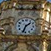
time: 1:33
